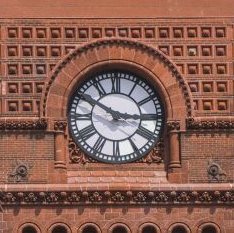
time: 2:50
